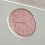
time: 3:43
